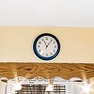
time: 11:06
